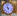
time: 9:57
